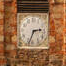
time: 2:33
